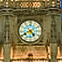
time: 4:39
